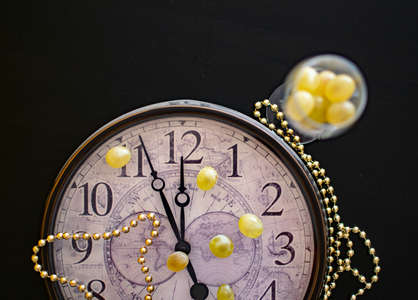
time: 11:56
